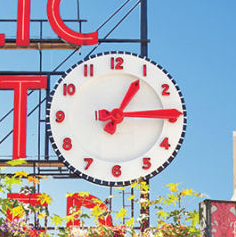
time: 1:14
